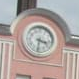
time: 3:31
